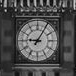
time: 9:05
